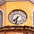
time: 7:32
